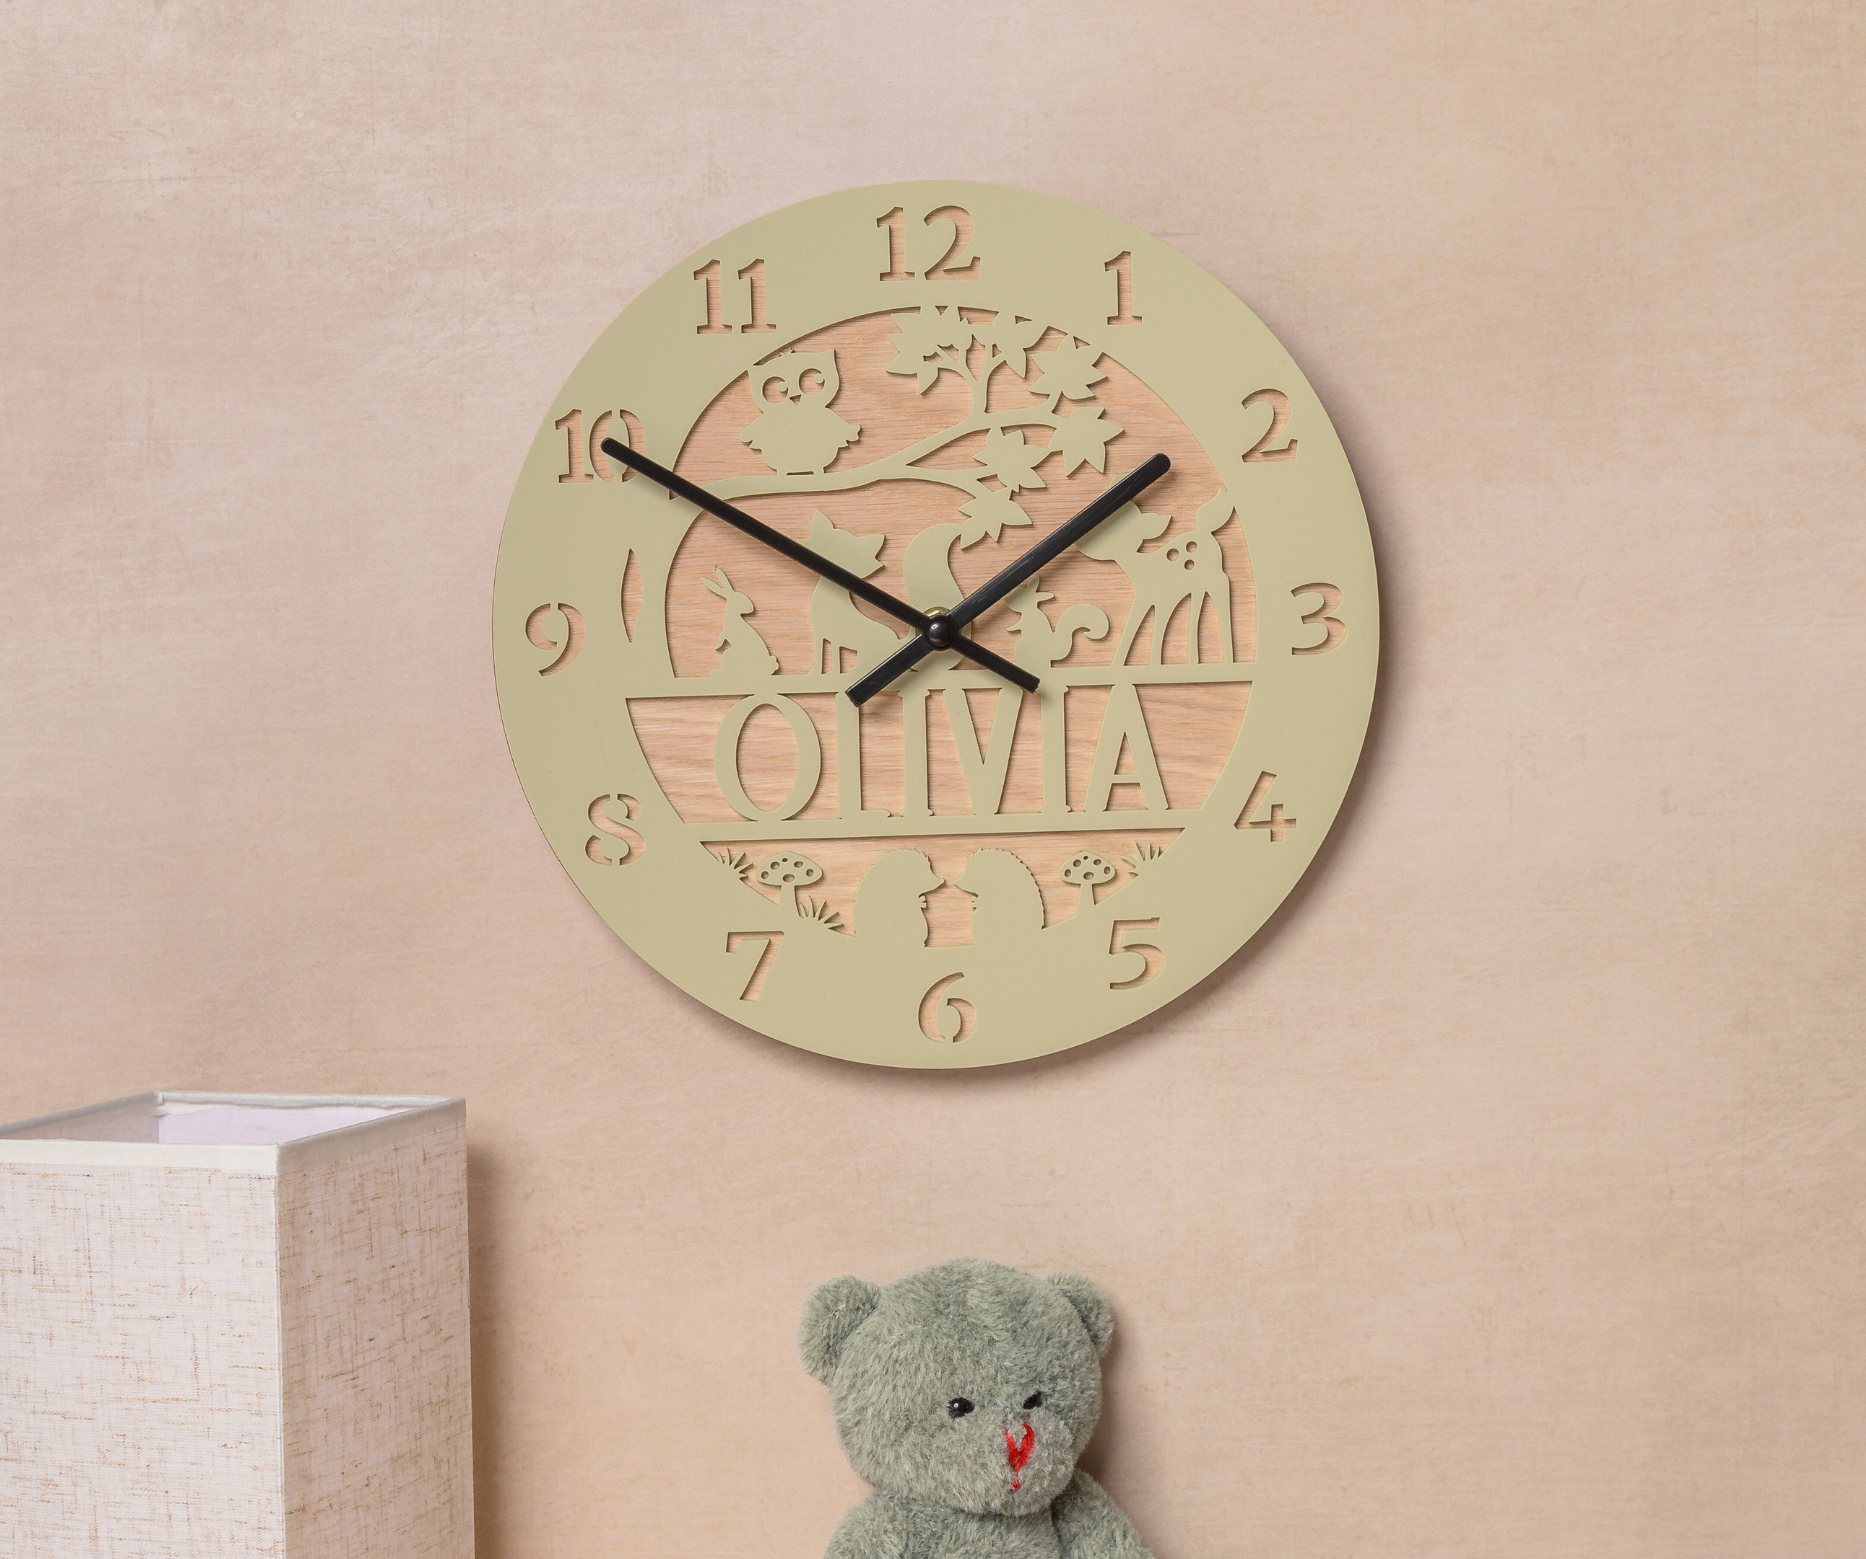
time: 1:50
